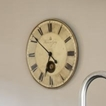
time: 6:51
